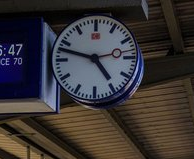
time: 4:47
